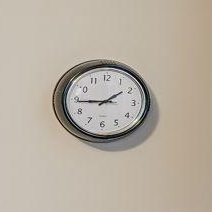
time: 1:44
